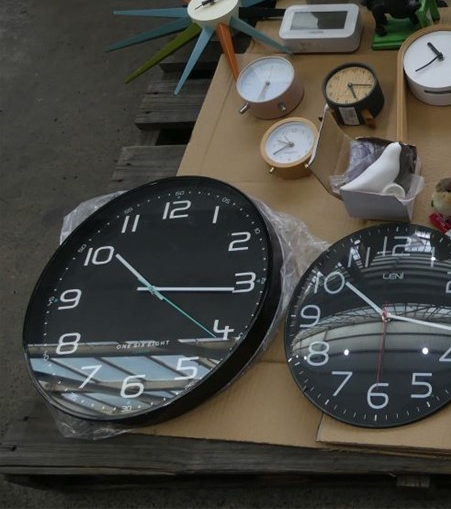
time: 10:15
